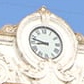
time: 8:47
